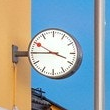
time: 3:45
